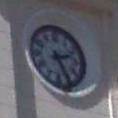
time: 2:25
